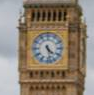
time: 4:27
